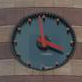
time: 3:58
